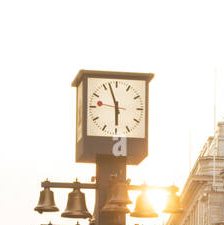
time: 5:56
